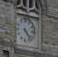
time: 4:22
